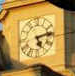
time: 5:12
